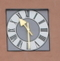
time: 10:29
